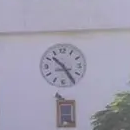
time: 10:24
